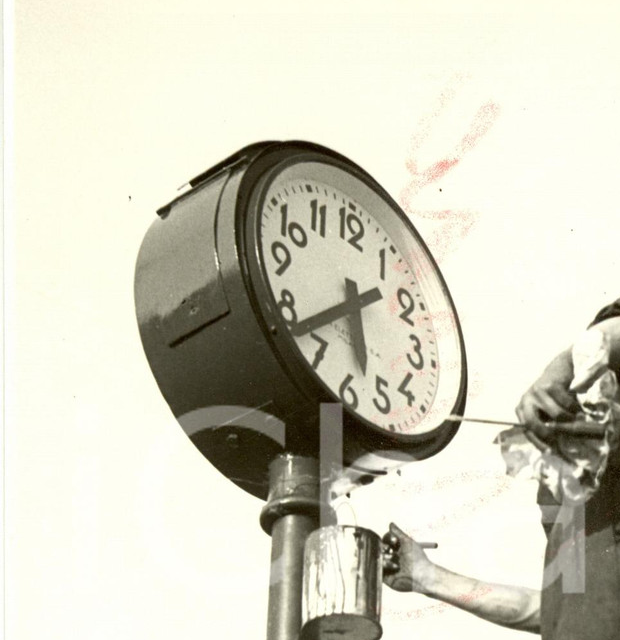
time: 5:38
